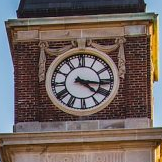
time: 4:16
